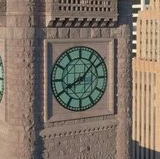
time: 8:07
